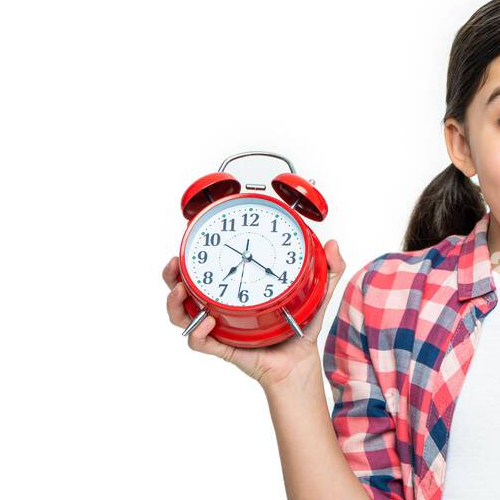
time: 7:20
